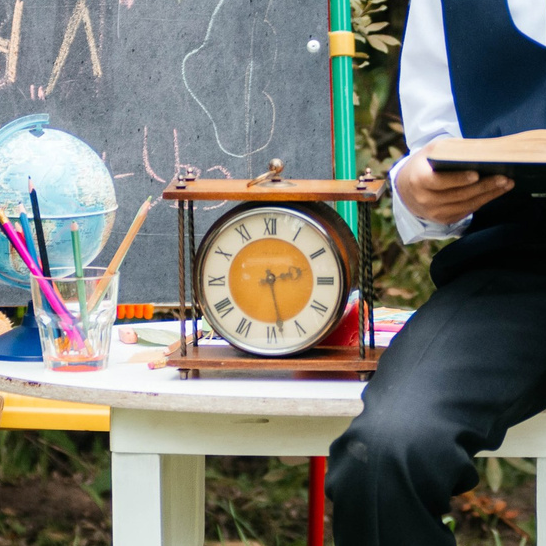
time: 2:28
